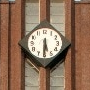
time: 5:30
